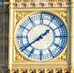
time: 1:39
